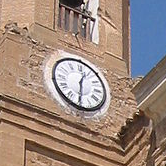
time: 12:30
